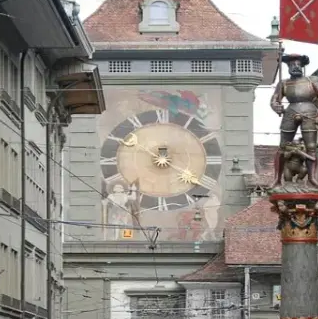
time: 3:50
